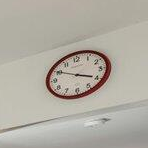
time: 3:49
